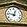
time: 12:47
